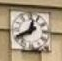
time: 12:40
